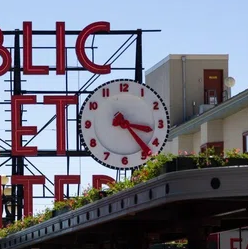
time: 3:23
